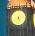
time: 5:03
